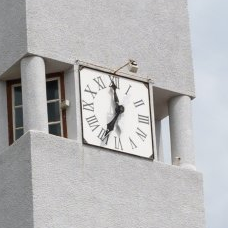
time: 6:59
